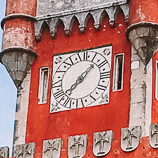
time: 7:07
